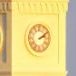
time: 2:09
